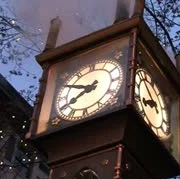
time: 7:50
